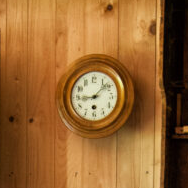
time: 9:08
